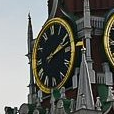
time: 2:12
